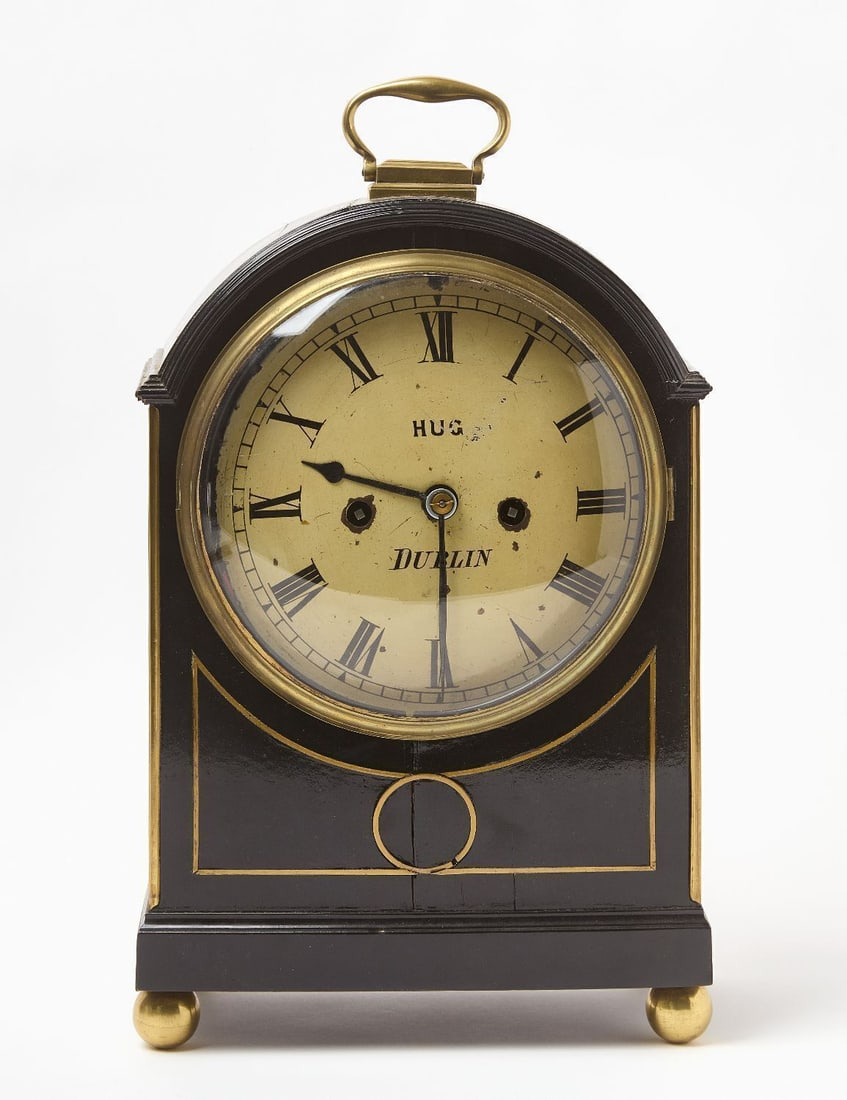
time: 9:30
